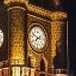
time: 7:48
